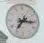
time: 7:15
